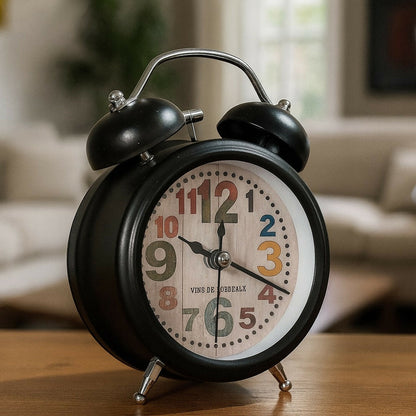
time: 12:19
